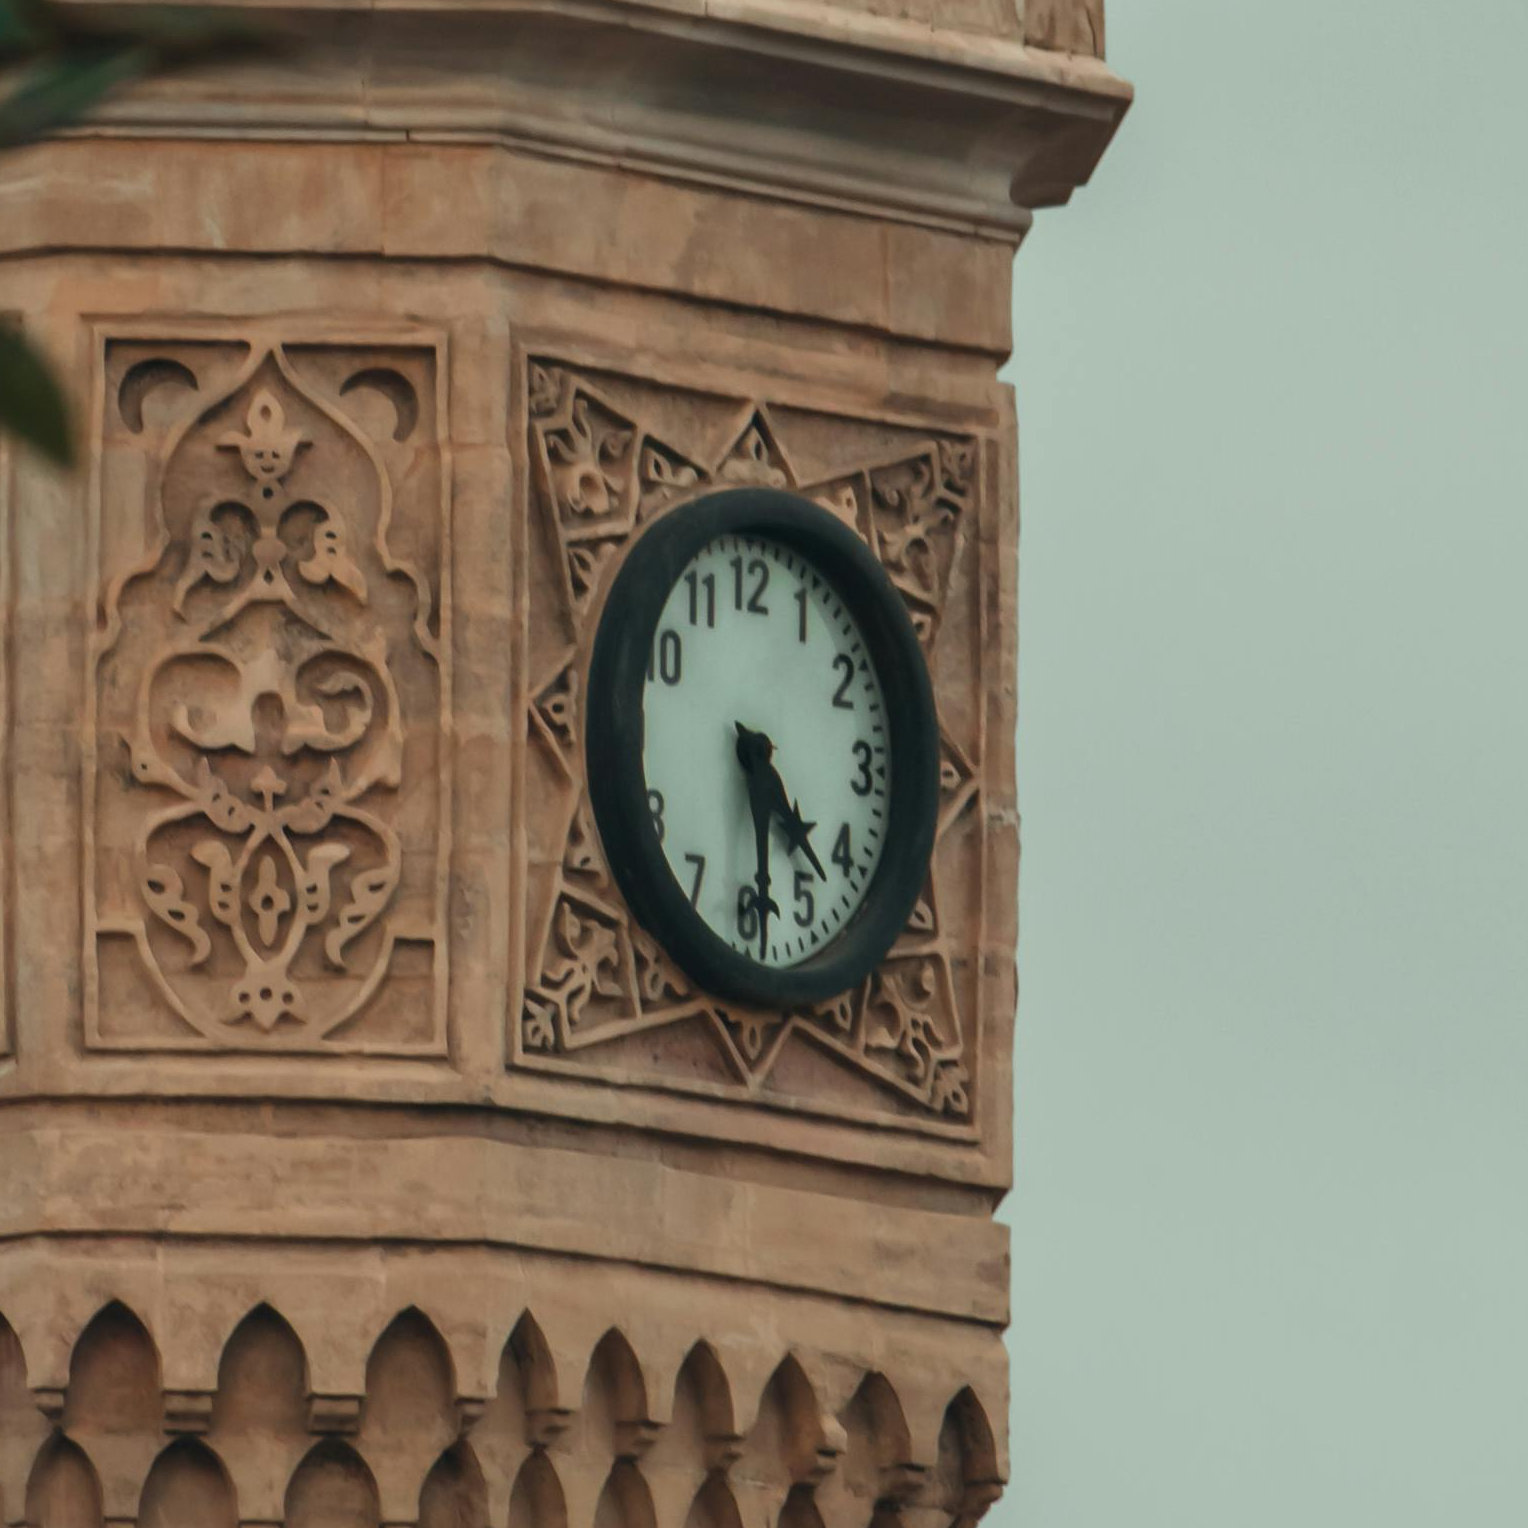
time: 4:29
